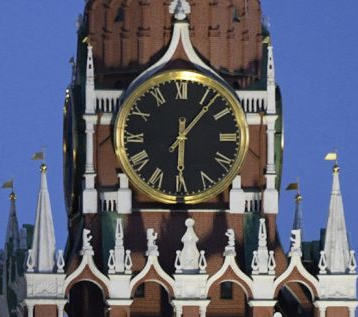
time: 6:06
